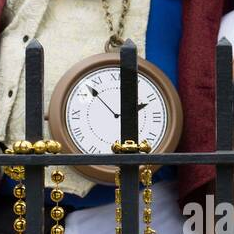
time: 1:52
